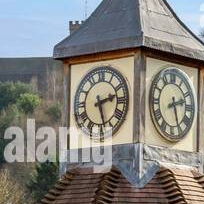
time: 2:27
